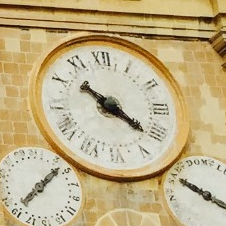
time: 10:21
